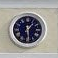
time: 1:28
